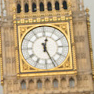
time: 12:26
